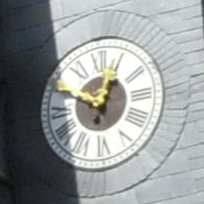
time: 12:49
